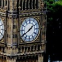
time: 1:39
